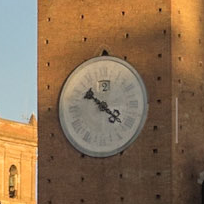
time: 10:21
